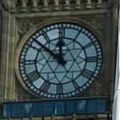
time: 11:51
